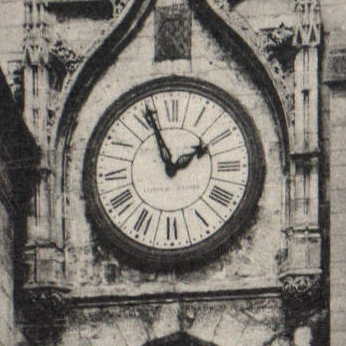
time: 1:56
